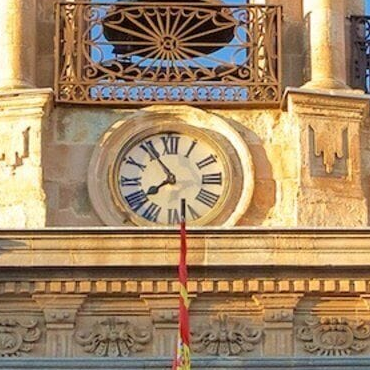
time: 7:54
